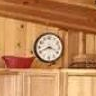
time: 8:18
